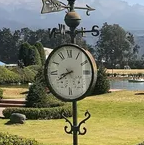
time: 8:40
